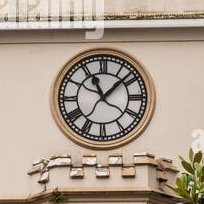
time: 11:07
